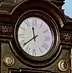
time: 11:39
